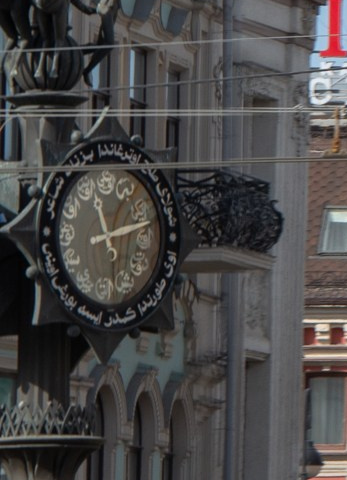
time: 11:12
